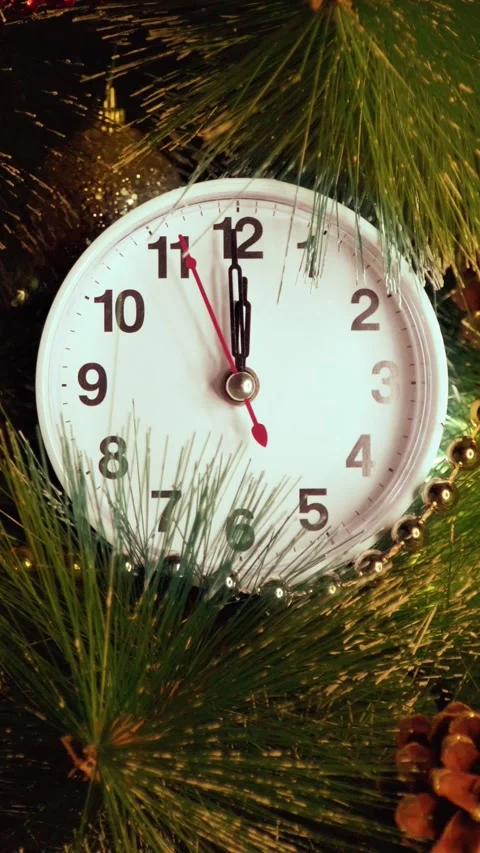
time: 11:59
